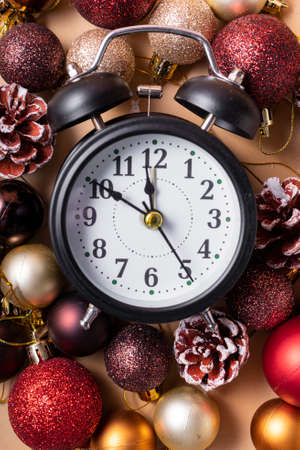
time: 11:50
